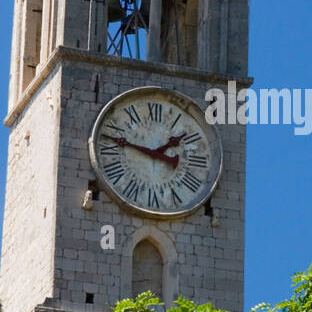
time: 1:47
